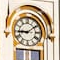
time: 9:09
